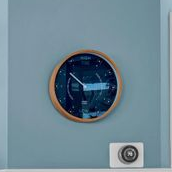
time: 10:14
